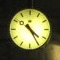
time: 4:24
